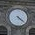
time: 4:21
